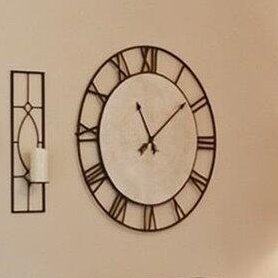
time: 11:08
